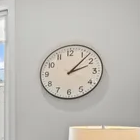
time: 2:07
